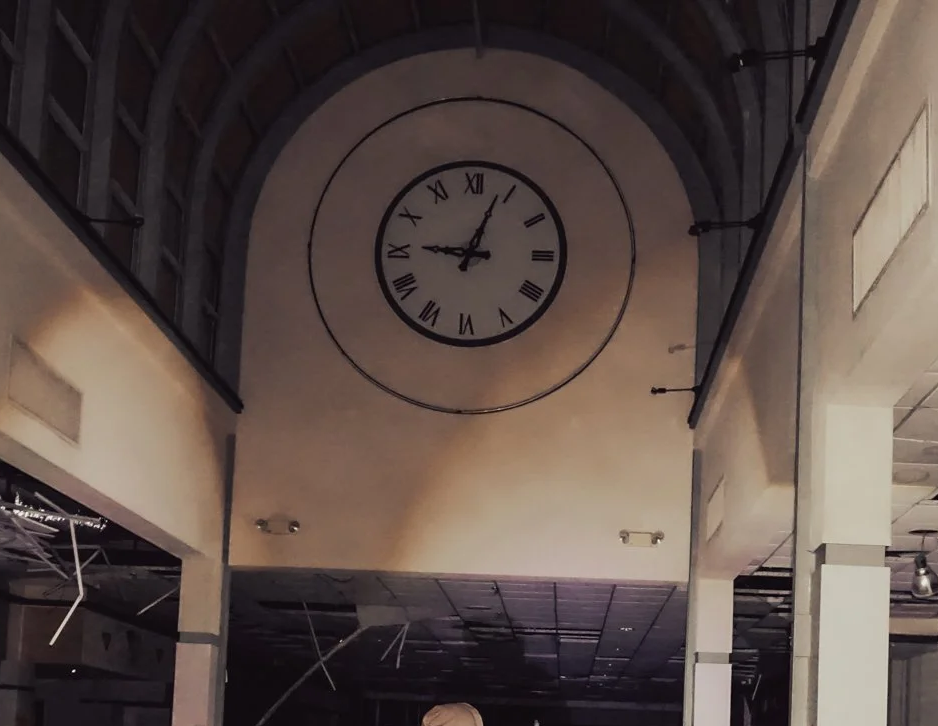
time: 9:03
